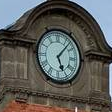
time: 5:07
